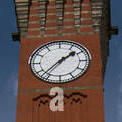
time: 1:37
